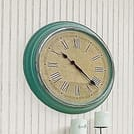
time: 10:21
